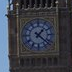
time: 1:21
